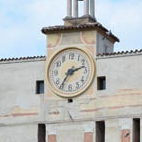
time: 2:35
